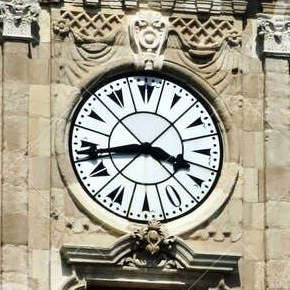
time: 3:43
